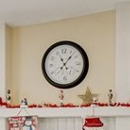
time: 11:06
